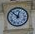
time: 12:53
